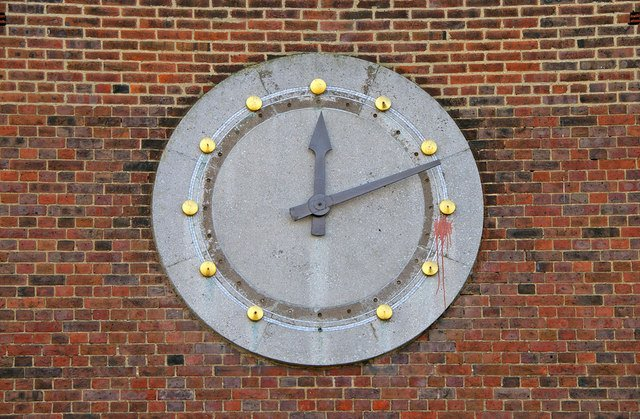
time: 12:11
